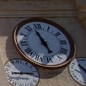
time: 4:57
